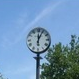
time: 12:04
